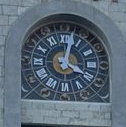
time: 4:02
